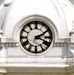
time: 2:18
